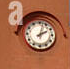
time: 2:02
